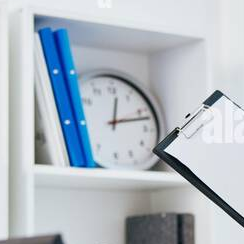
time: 12:12
